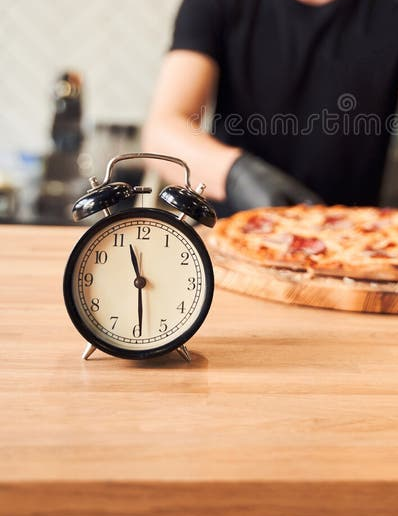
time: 11:29
